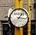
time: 1:16
